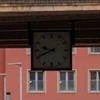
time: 9:41
